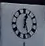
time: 12:26
